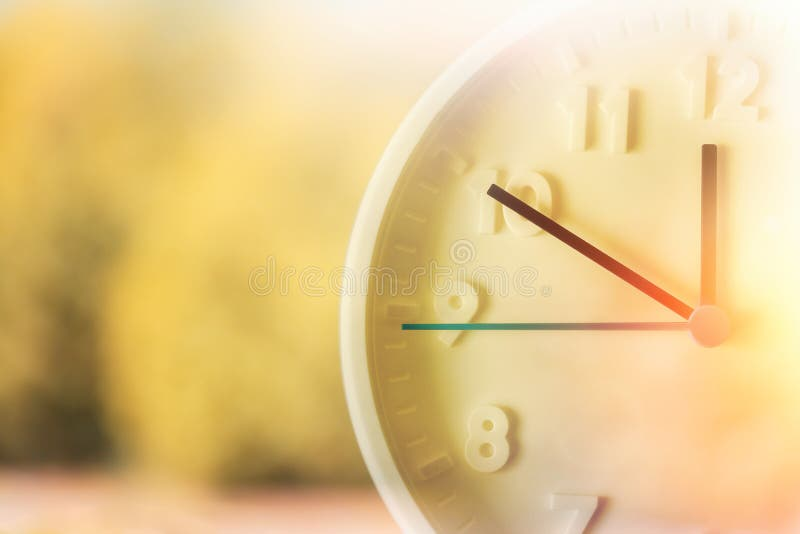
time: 11:49
